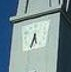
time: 5:33
